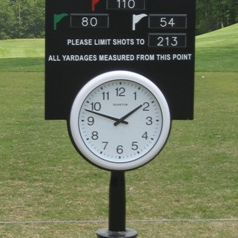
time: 1:47
